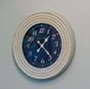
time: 1:23
